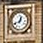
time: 12:41
